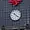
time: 4:21
